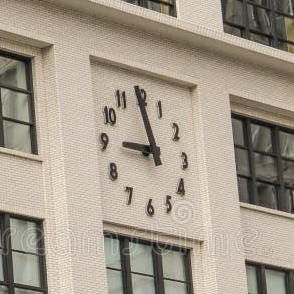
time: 8:58
